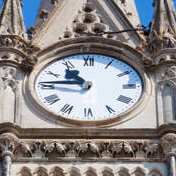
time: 10:45
